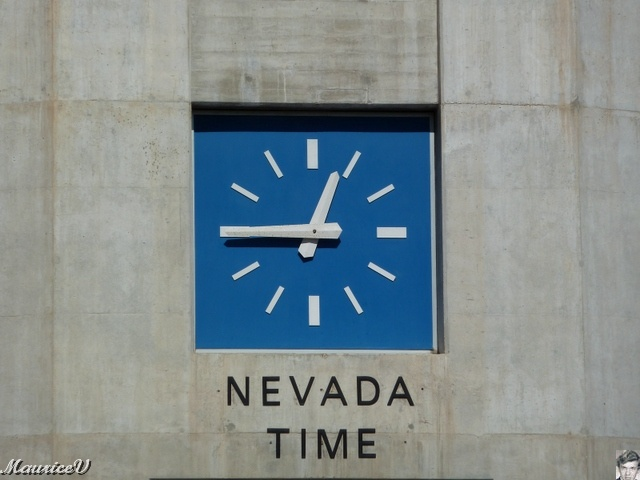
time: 12:45
